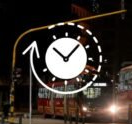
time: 10:07
